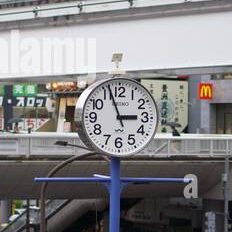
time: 2:56
